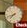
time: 7:41
